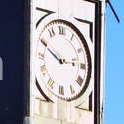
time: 2:49
